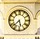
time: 5:37
